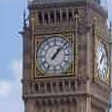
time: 1:07
